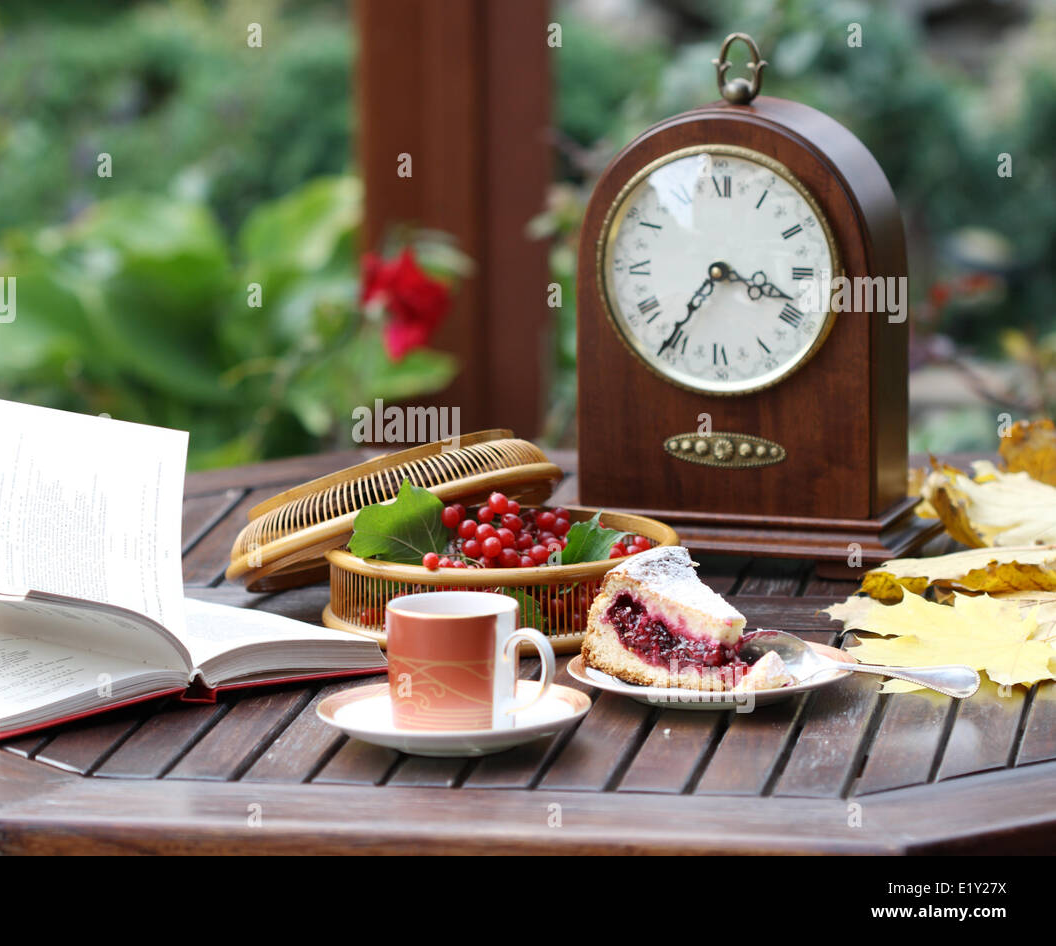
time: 3:36
